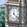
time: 12:21
